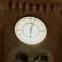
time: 6:03
